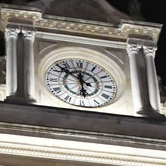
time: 5:51
